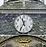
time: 11:35
